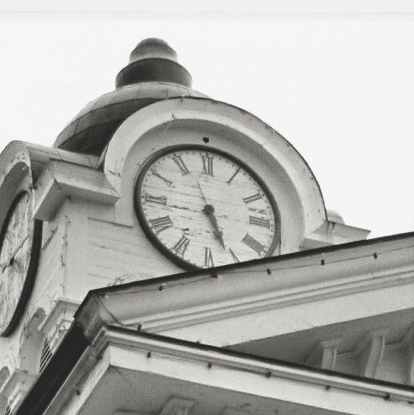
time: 5:26
